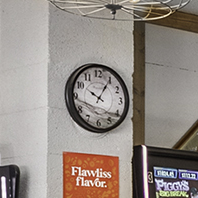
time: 10:05
